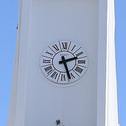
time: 2:26
